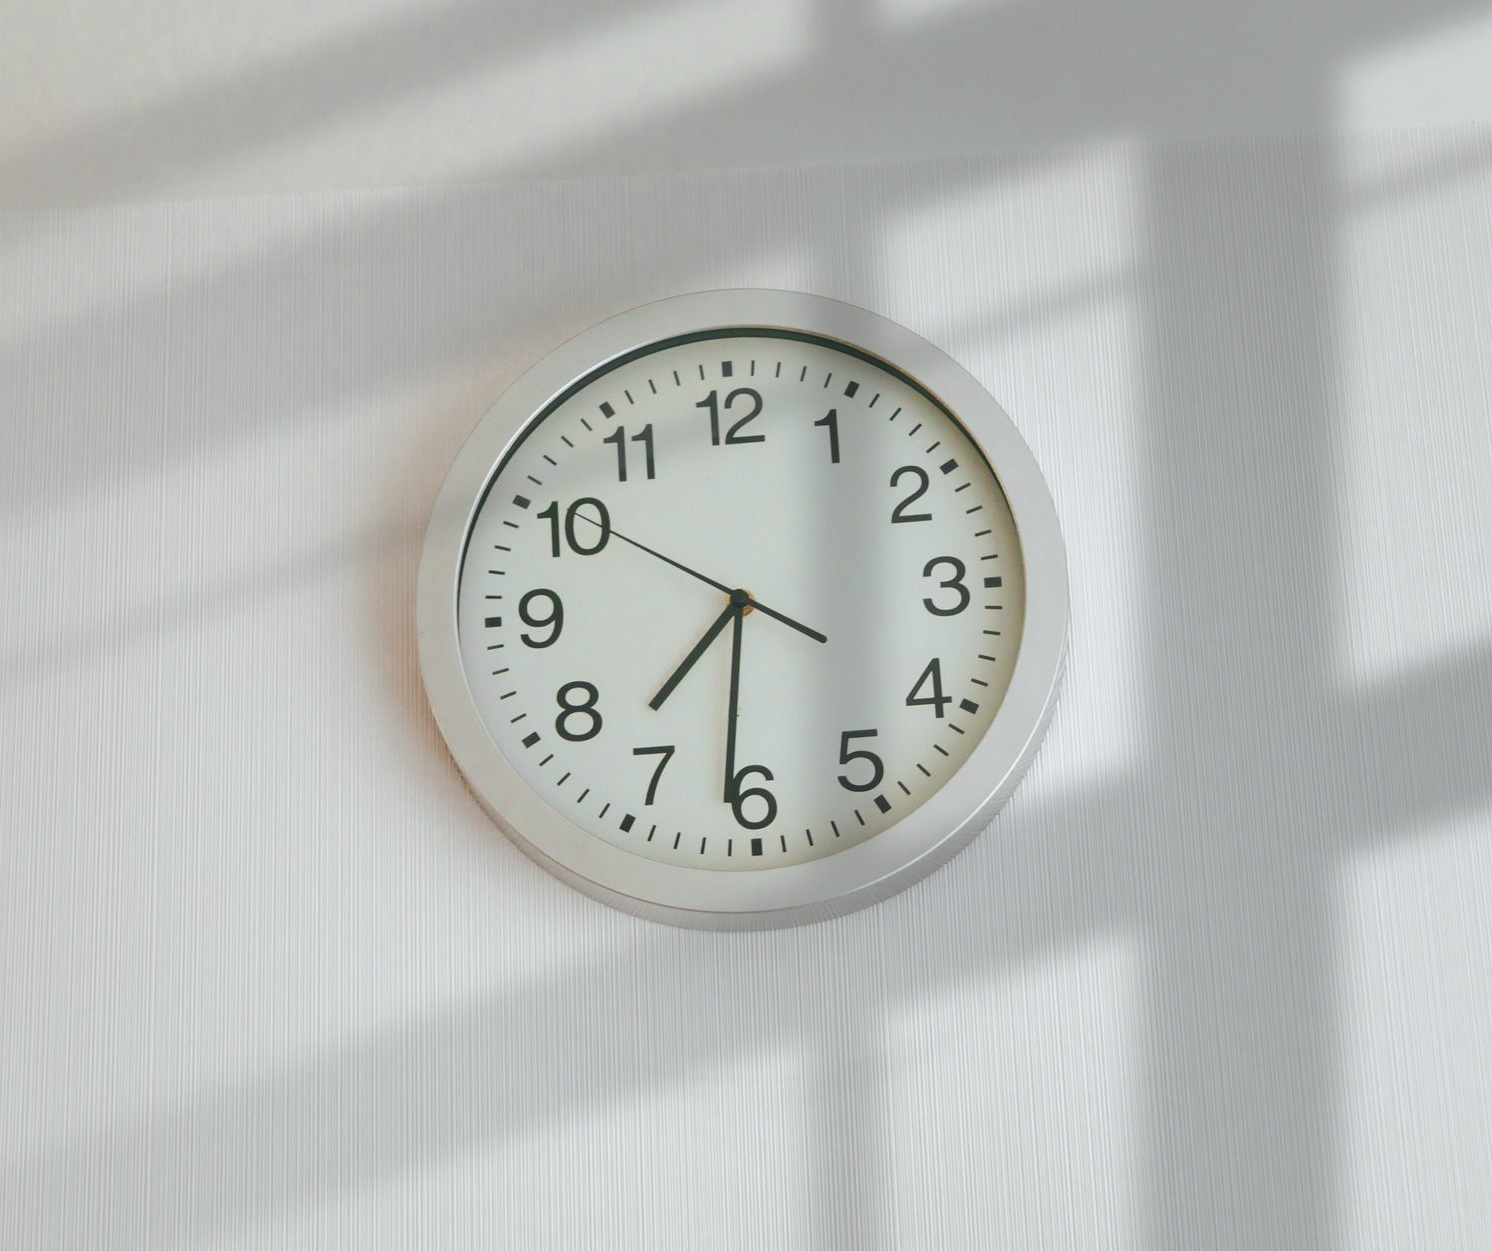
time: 7:31
